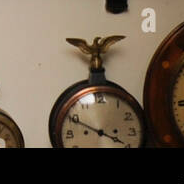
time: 3:49
